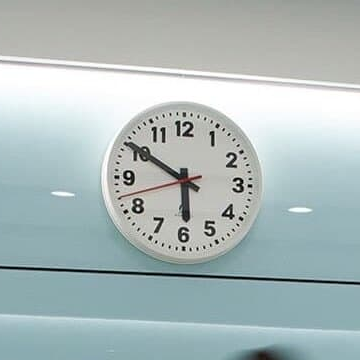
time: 5:50
